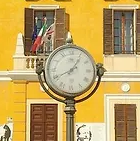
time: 8:06
